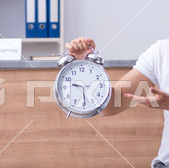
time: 9:29
